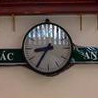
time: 8:35
